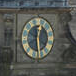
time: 12:28
